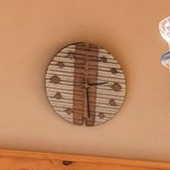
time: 2:29
